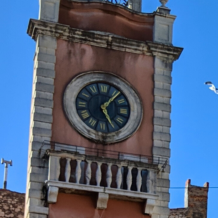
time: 5:06
